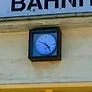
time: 4:49
